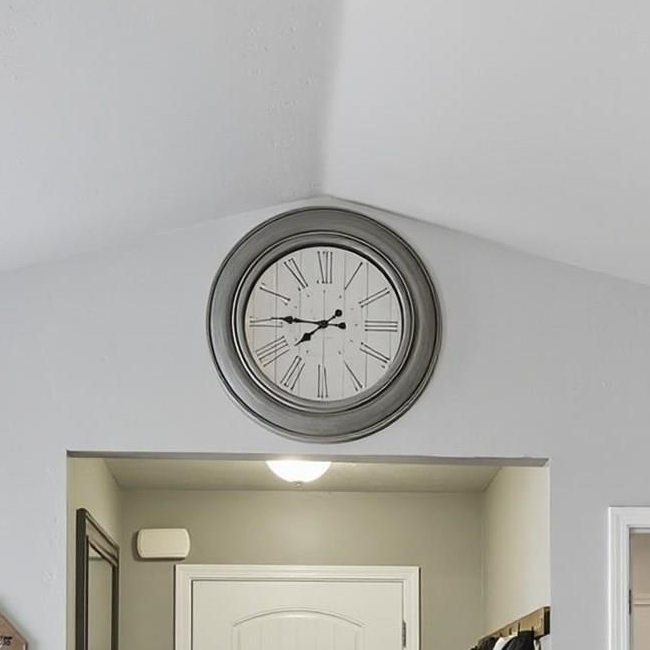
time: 7:45
